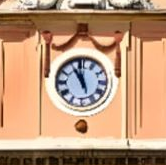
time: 10:58
